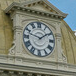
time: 1:47
